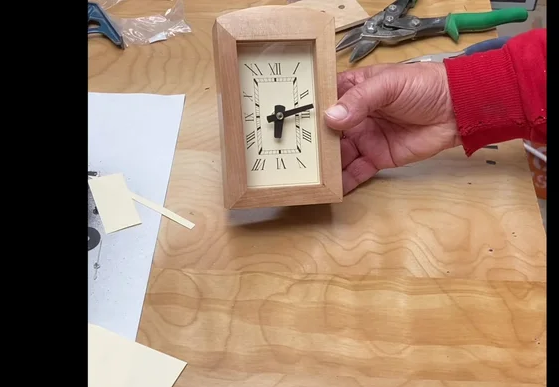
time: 6:13
